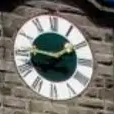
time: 1:46
